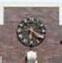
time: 6:21
